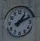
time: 1:11
